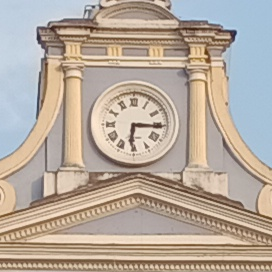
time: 6:15
